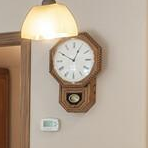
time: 12:49
